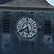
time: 5:40
